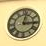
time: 3:02
